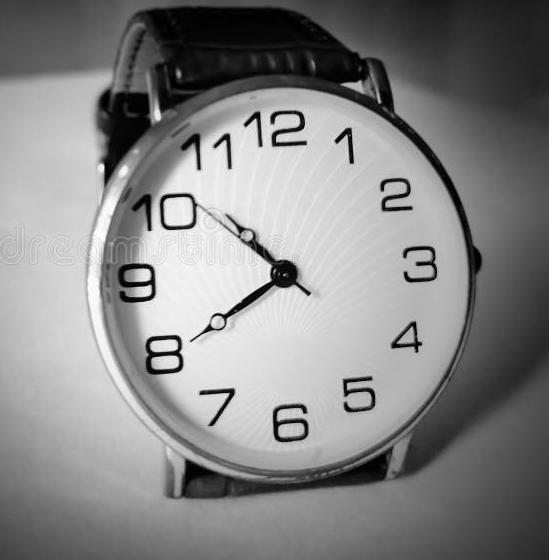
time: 7:52
